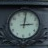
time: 3:00
